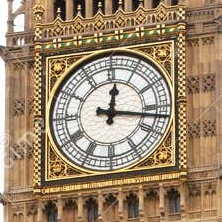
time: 12:16
